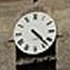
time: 4:22
